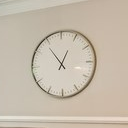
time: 12:53
